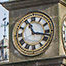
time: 11:17
